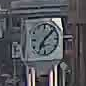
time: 7:08
